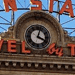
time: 4:02
